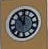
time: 11:01
